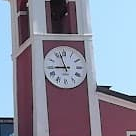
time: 8:56
